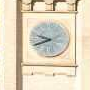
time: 9:41
